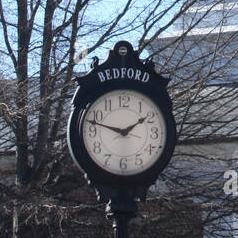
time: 1:47
